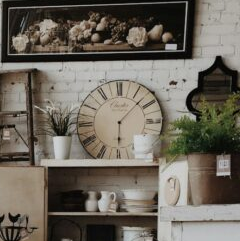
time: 6:07
